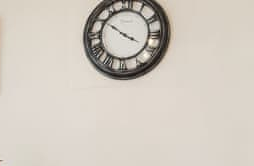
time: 3:50
